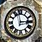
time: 2:58
